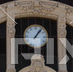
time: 1:06
